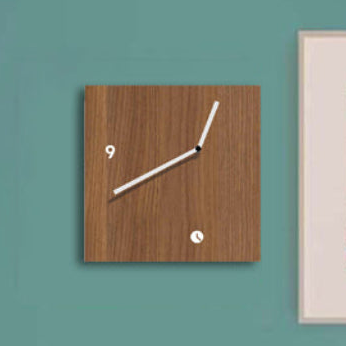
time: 12:40
